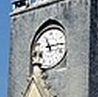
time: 11:14
